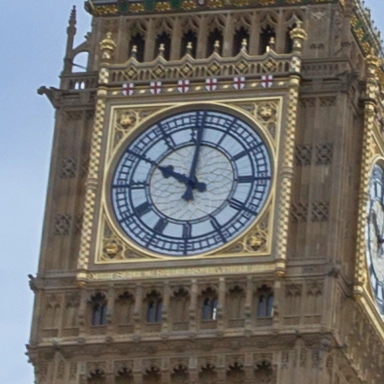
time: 10:00
